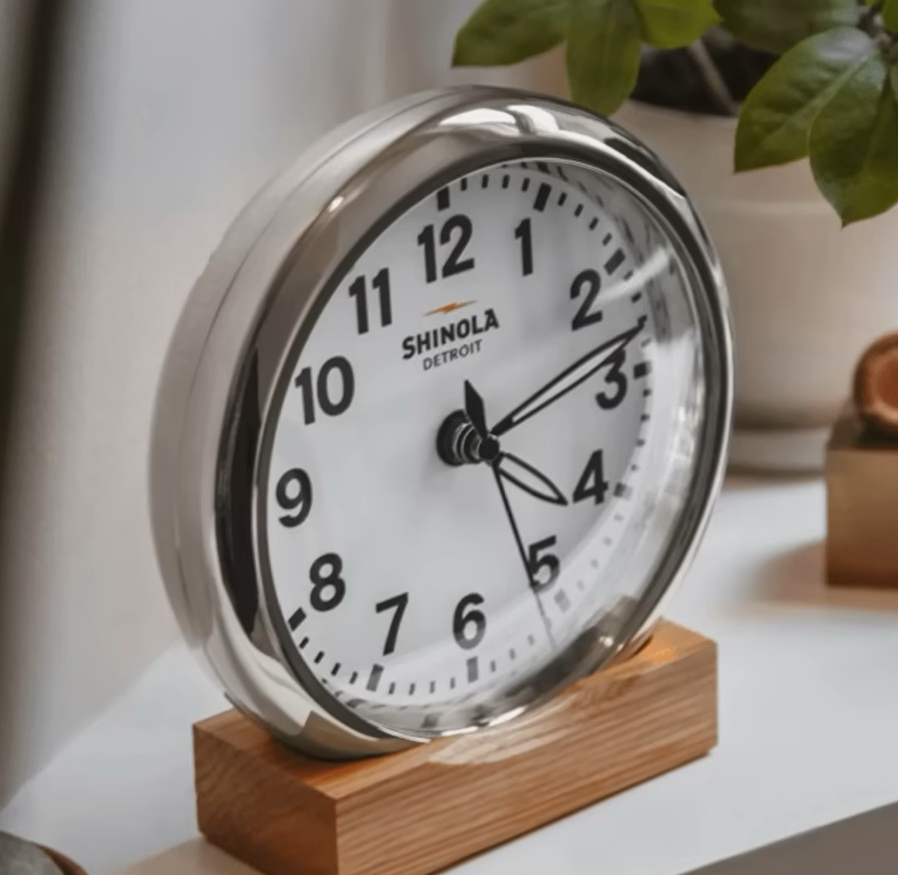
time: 4:12
